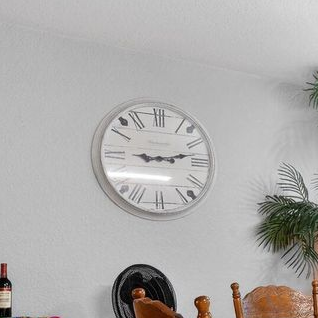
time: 9:12
